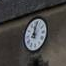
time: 9:01
